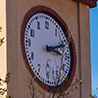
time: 3:11
